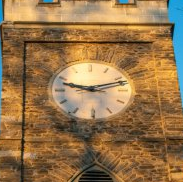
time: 9:12
